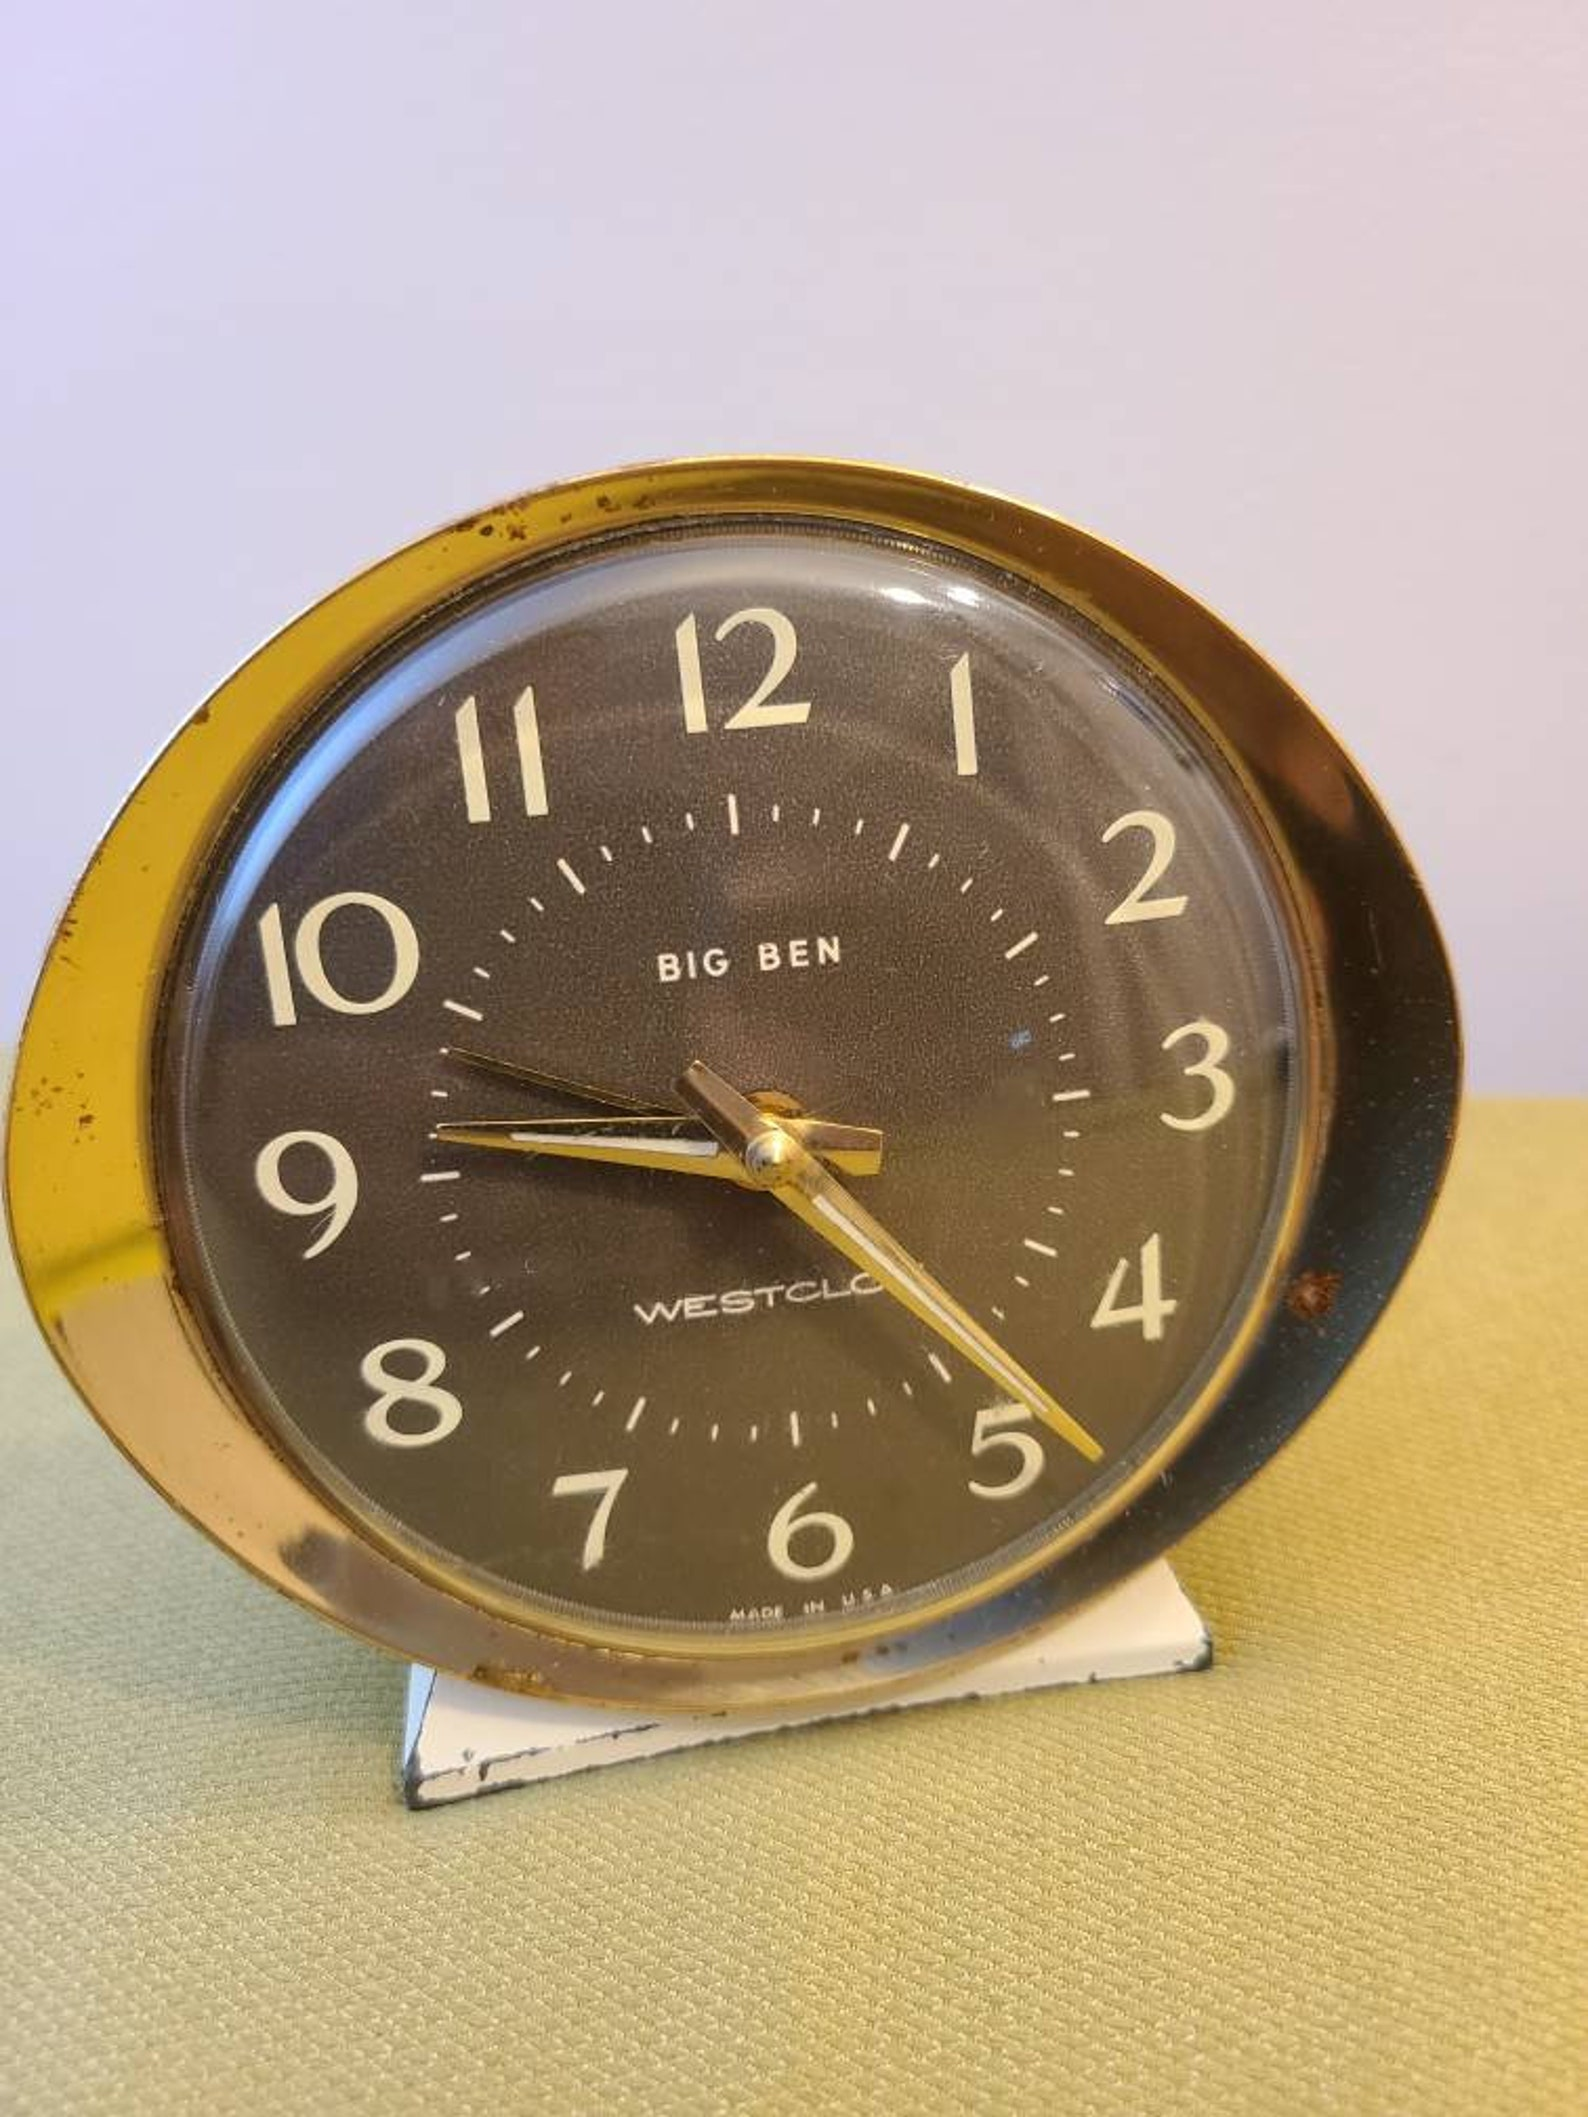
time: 9:23
